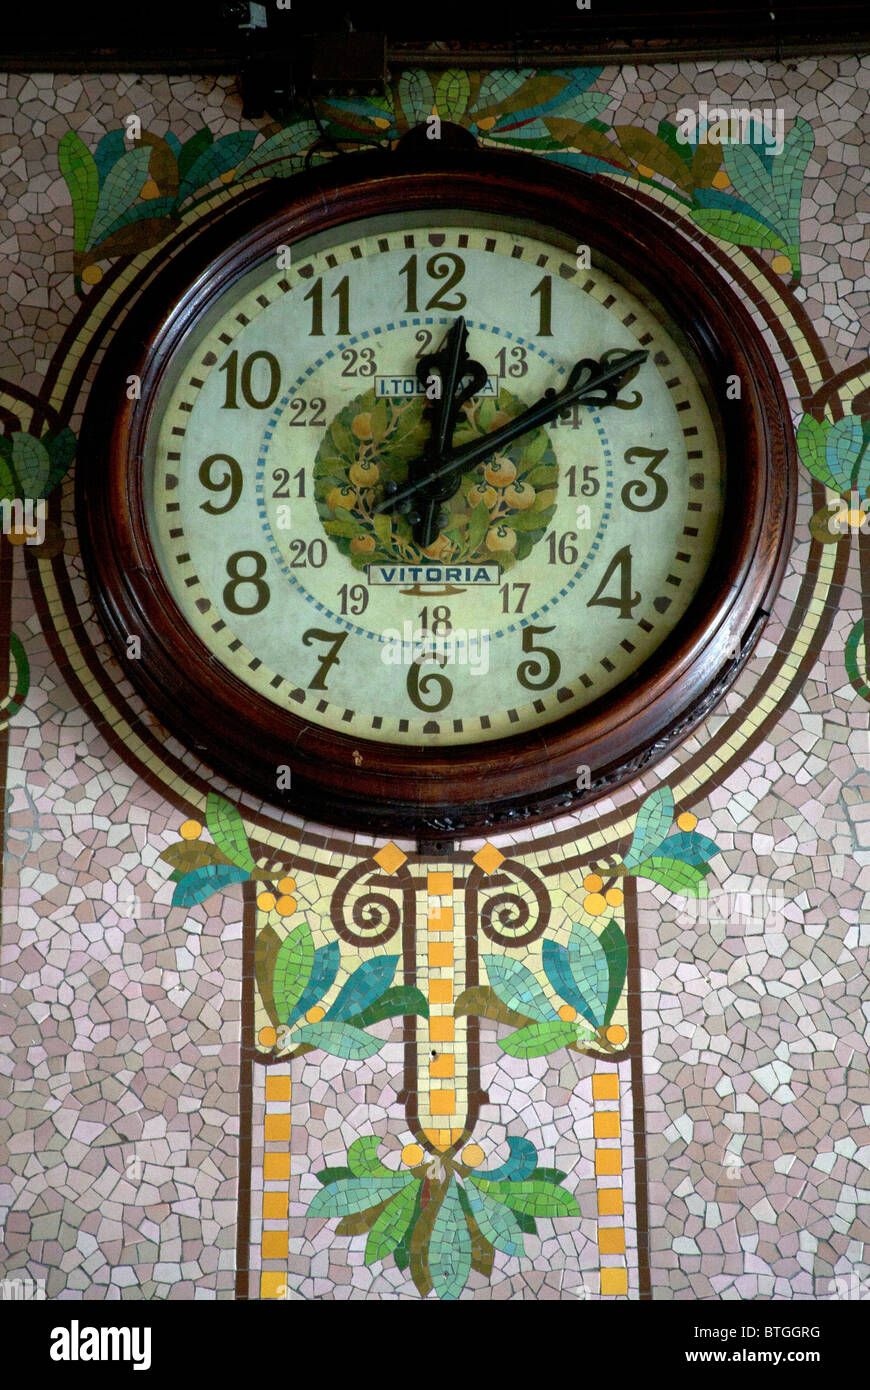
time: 12:09
